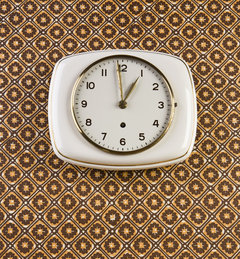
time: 12:59
